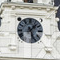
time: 1:26
